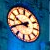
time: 9:40
